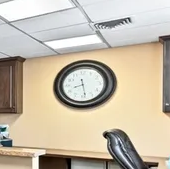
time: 8:28
